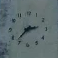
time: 2:36
